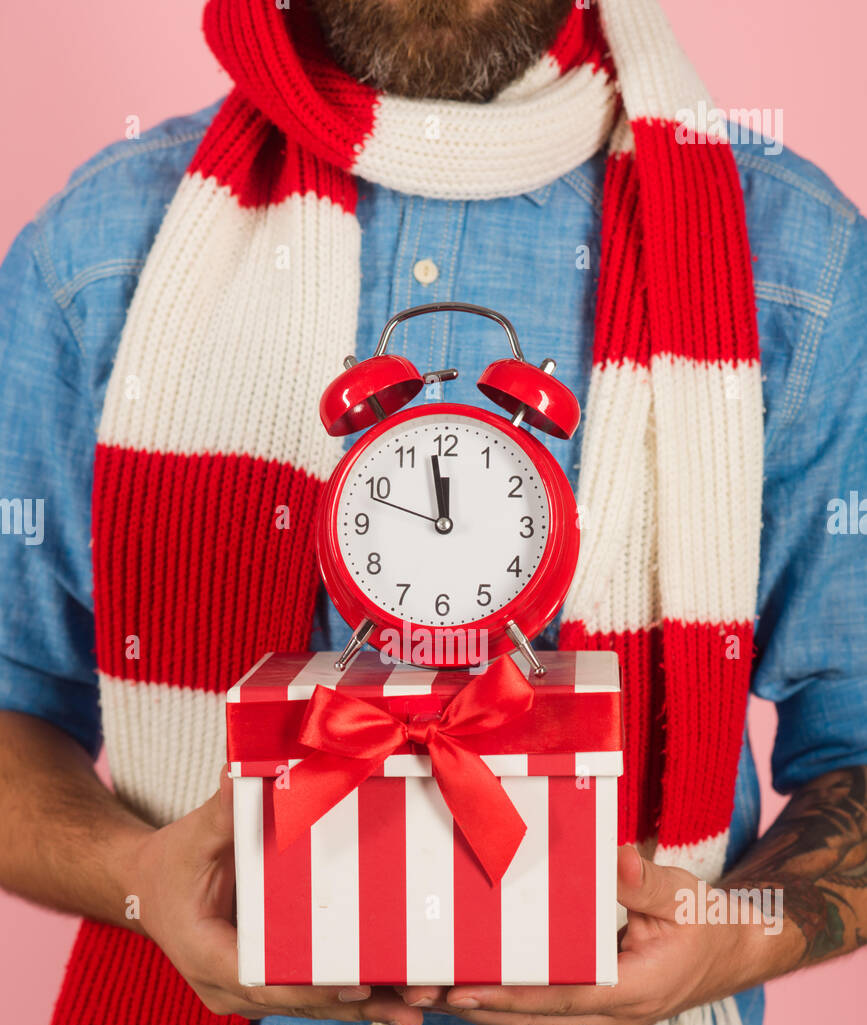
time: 11:58
